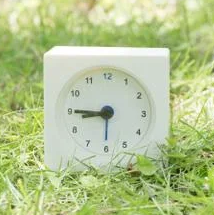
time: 8:45
